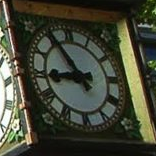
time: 8:54
